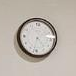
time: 4:32
